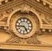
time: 4:44
